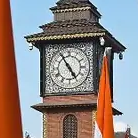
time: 4:54
